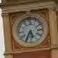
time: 5:34
